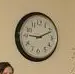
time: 9:11
